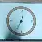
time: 12:34
